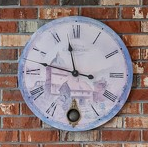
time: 11:47
